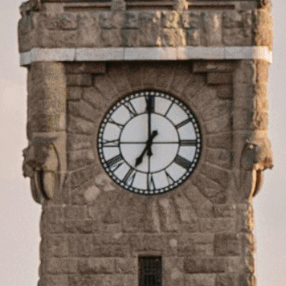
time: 6:59
